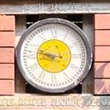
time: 8:47
